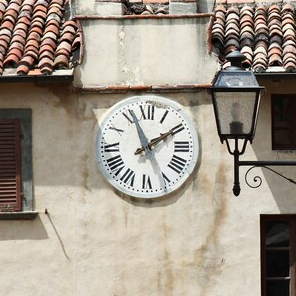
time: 1:56
